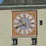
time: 10:41
